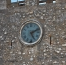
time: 5:11
